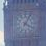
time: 4:04
